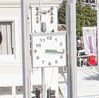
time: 3:17
